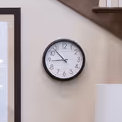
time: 8:53
